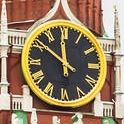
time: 11:51
